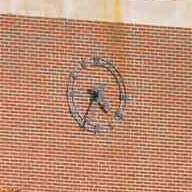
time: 4:34
